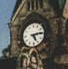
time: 5:14
